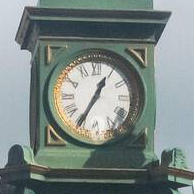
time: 12:34
